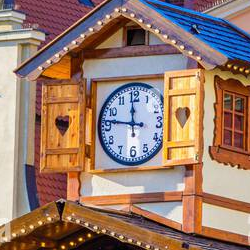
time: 11:46
